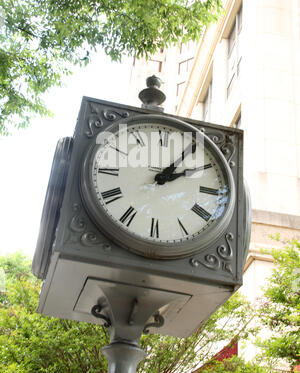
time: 1:09
